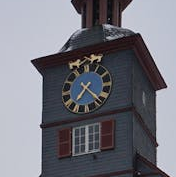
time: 7:22
